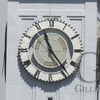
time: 11:23
